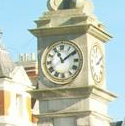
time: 11:09
